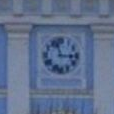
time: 2:57
